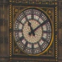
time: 11:09
